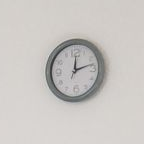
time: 12:12
